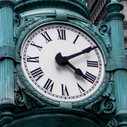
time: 4:10
